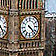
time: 4:22
